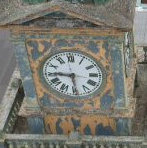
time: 5:45
